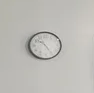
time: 10:24
